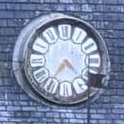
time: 7:22
